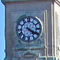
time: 4:19
